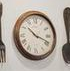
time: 10:18
